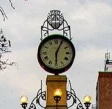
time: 6:04
